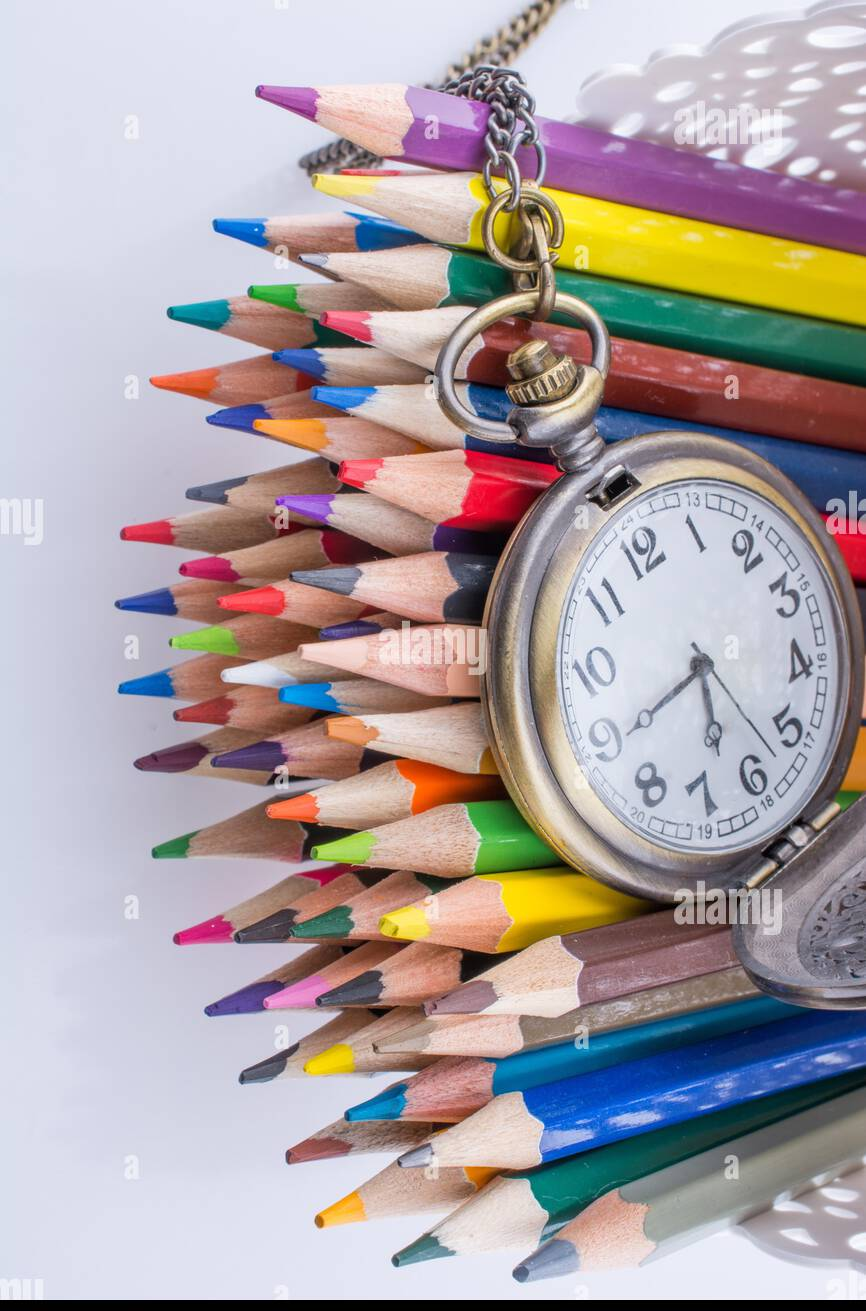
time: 5:40
